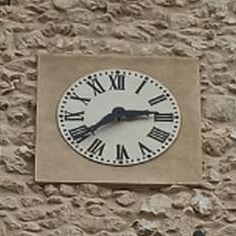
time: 2:38
